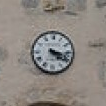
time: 4:17
